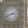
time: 2:41
